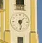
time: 1:28
